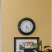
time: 4:29
